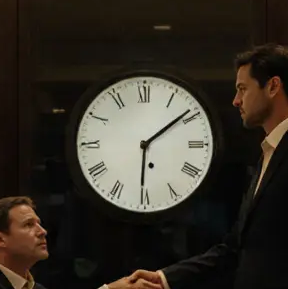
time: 6:08
